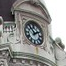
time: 1:53
